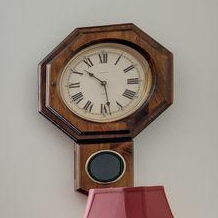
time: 10:28
